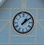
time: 1:09
